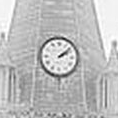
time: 2:08
